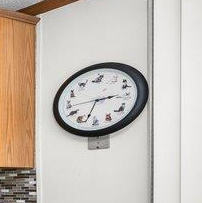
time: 2:33
